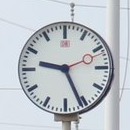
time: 9:26
